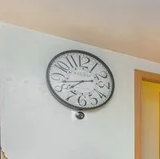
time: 7:42
